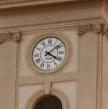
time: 4:08
